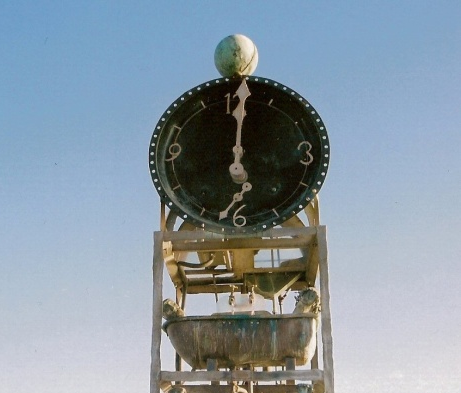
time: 5:00
